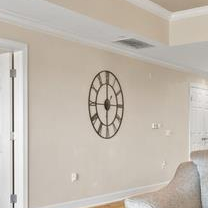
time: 5:59
